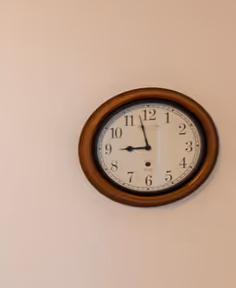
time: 8:57
